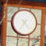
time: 4:35
